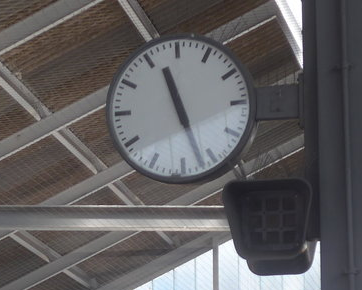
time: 11:26
